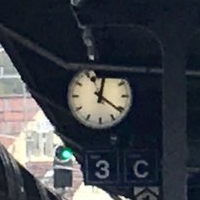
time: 12:21
